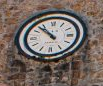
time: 10:52
